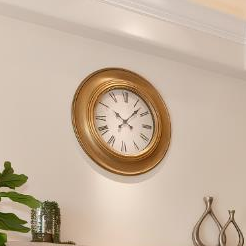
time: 10:07
